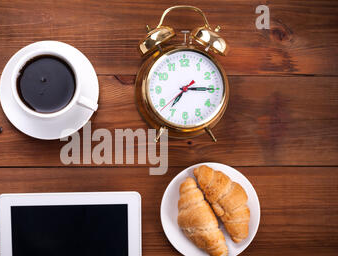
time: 7:15
